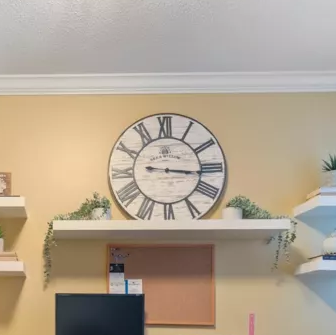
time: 3:16
